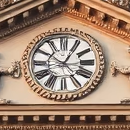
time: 12:50
